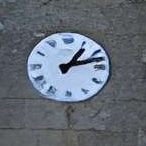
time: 1:12
